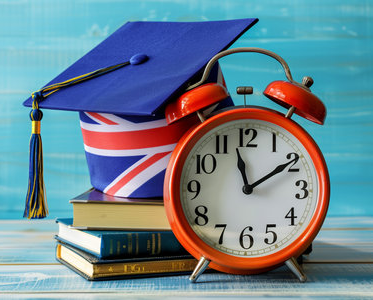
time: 11:09
